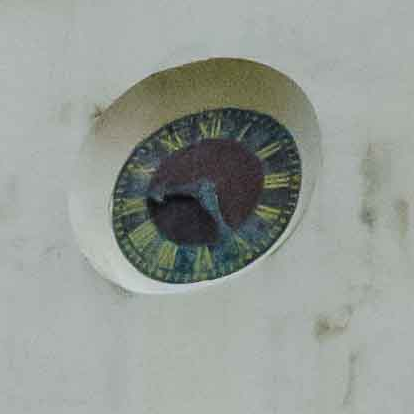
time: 9:25
